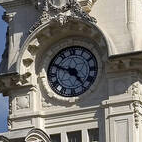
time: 4:49
